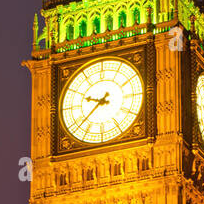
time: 9:38
